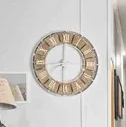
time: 8:01
